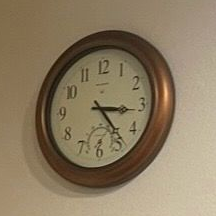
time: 3:23
